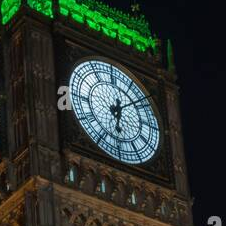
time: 6:08
